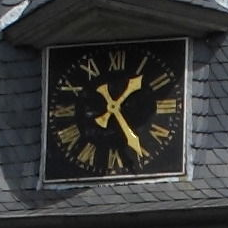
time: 1:24
